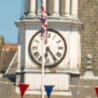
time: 6:23
